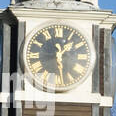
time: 1:28
